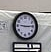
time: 9:14
